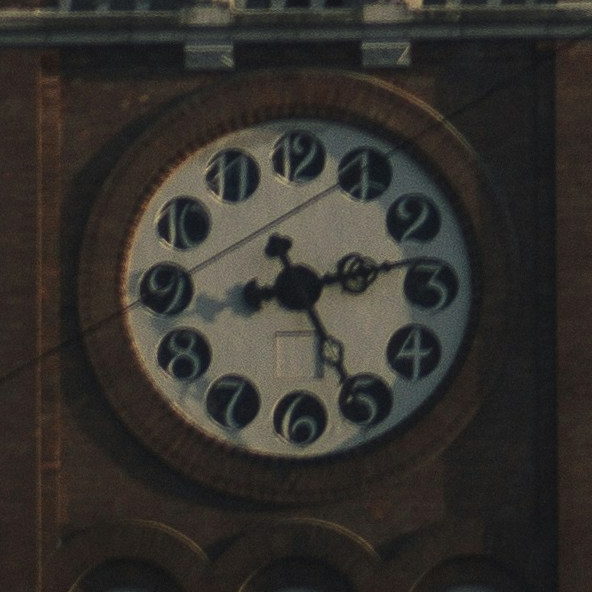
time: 8:25
